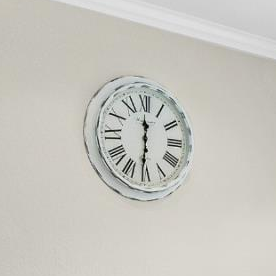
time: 11:30
